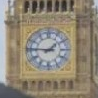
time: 1:46
